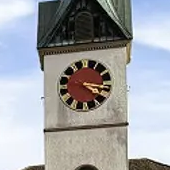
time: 4:16
